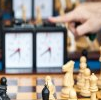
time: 5:40
